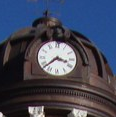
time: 3:38
